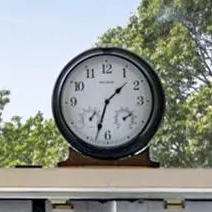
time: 1:33
